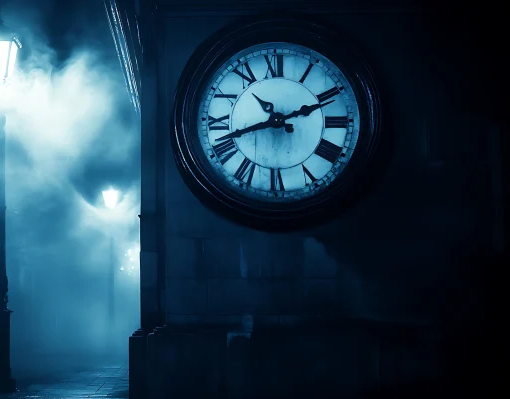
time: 10:41
